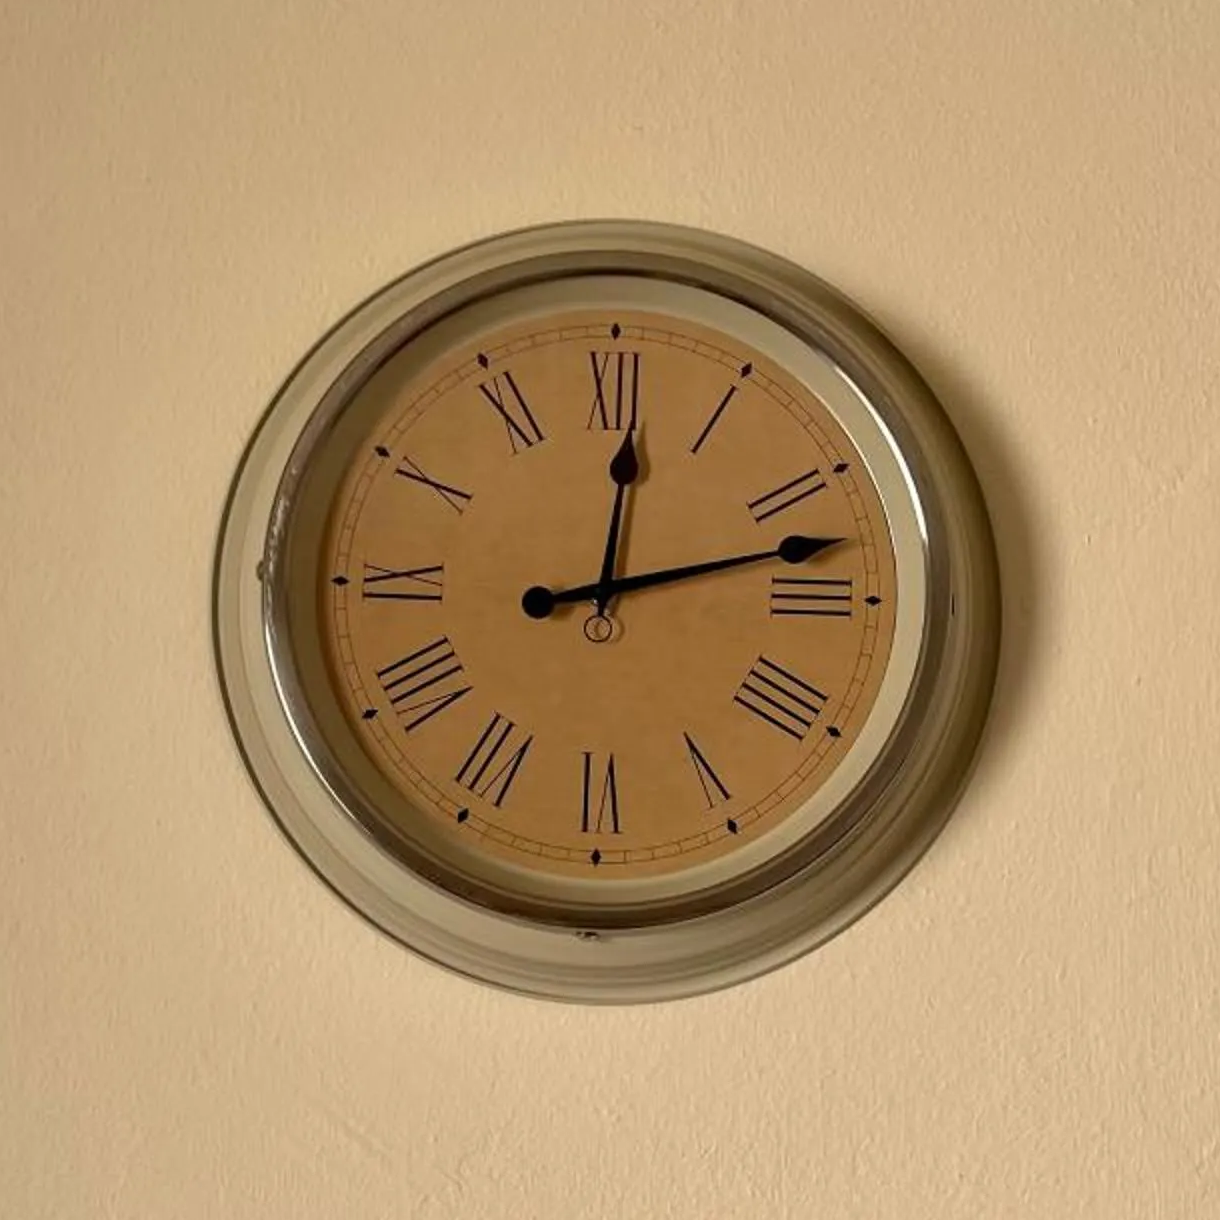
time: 12:12
